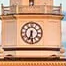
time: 6:28
